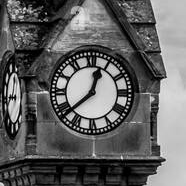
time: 12:38
